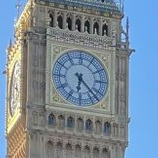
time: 6:22
